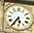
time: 5:35
